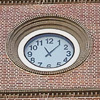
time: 11:06
